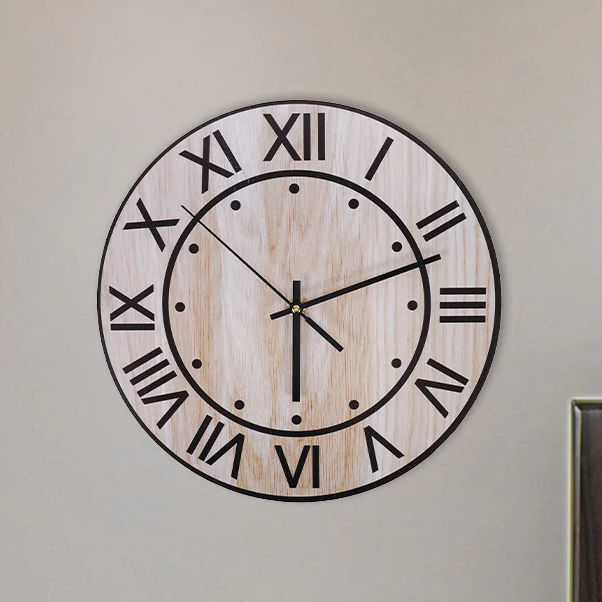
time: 6:11
